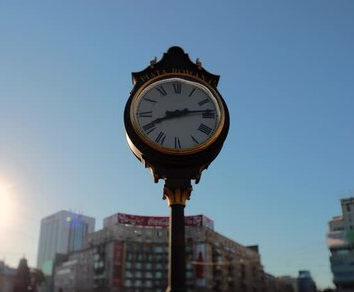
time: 8:13
